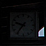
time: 9:36
